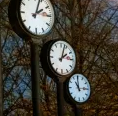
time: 2:03
